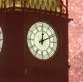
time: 12:11
